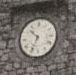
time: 10:34
